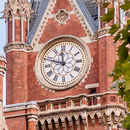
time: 11:48
